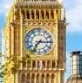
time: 7:15
